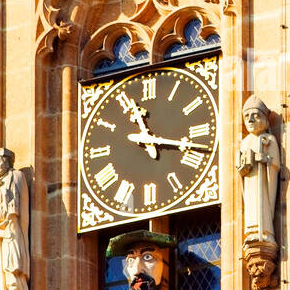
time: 11:17
